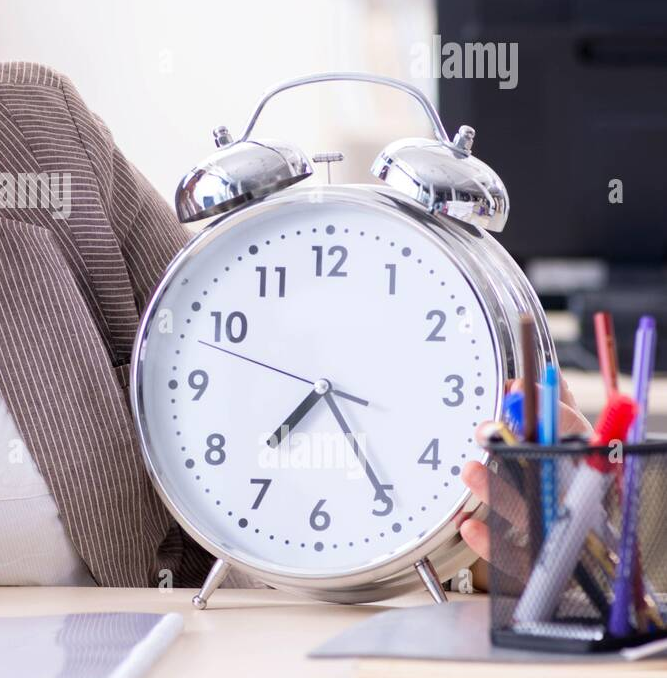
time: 7:25
